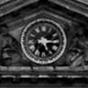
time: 5:15
